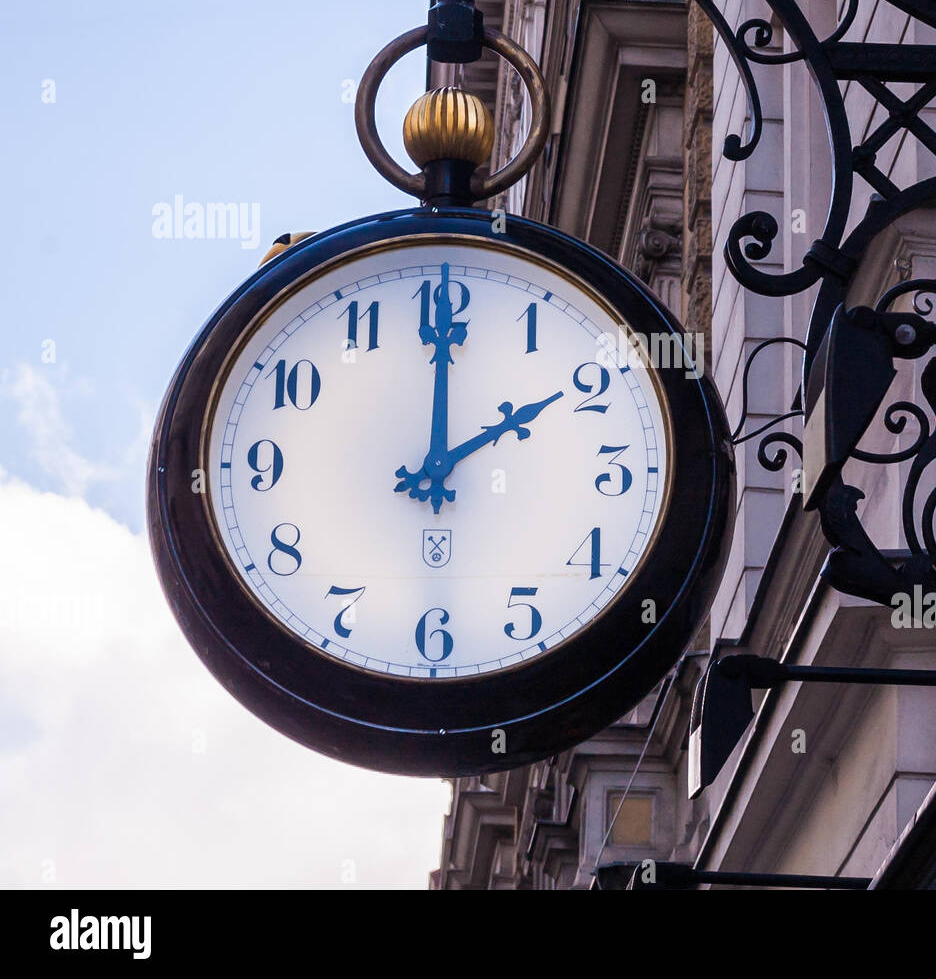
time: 2:00
